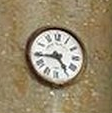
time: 4:44
